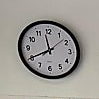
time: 11:40
